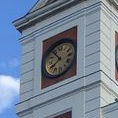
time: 7:53
